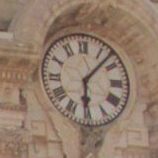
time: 6:07
